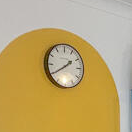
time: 1:39
